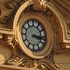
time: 3:17
